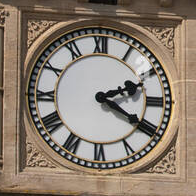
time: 2:20
